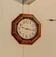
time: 9:16
